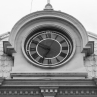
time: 6:49
